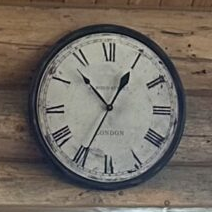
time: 10:34
